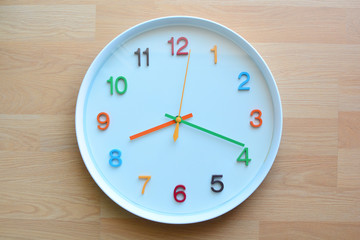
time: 8:18
